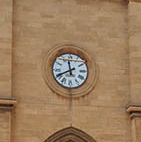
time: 11:40
